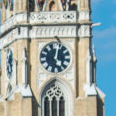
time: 5:02
